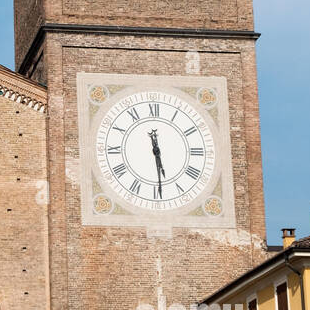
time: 5:29
